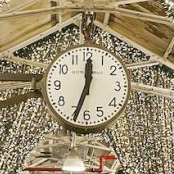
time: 12:33
